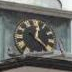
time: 12:23
